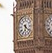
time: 6:21
